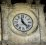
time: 11:22
